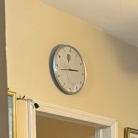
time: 2:42
